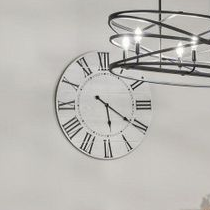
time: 5:20
